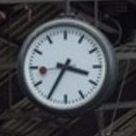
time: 3:34
